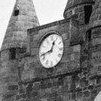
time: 12:42
